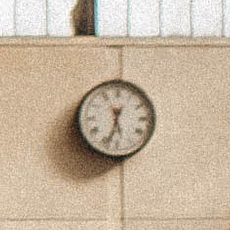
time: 5:33
